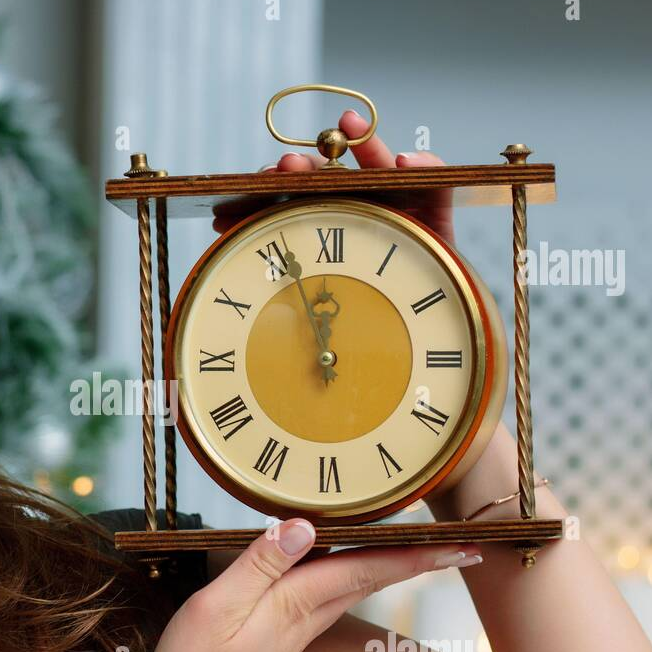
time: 11:56
